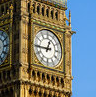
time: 12:44
